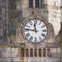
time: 11:46
